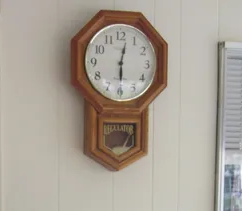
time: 6:02
